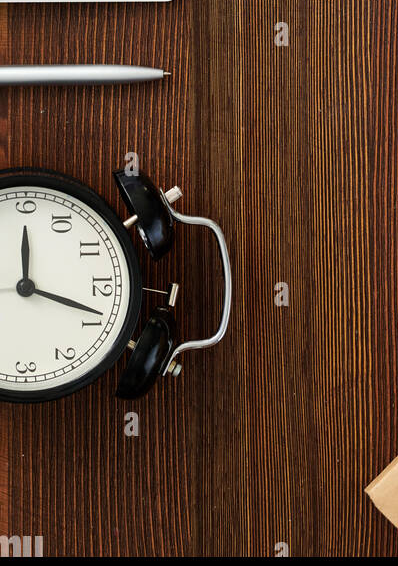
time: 12:18
